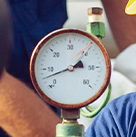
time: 2:42
